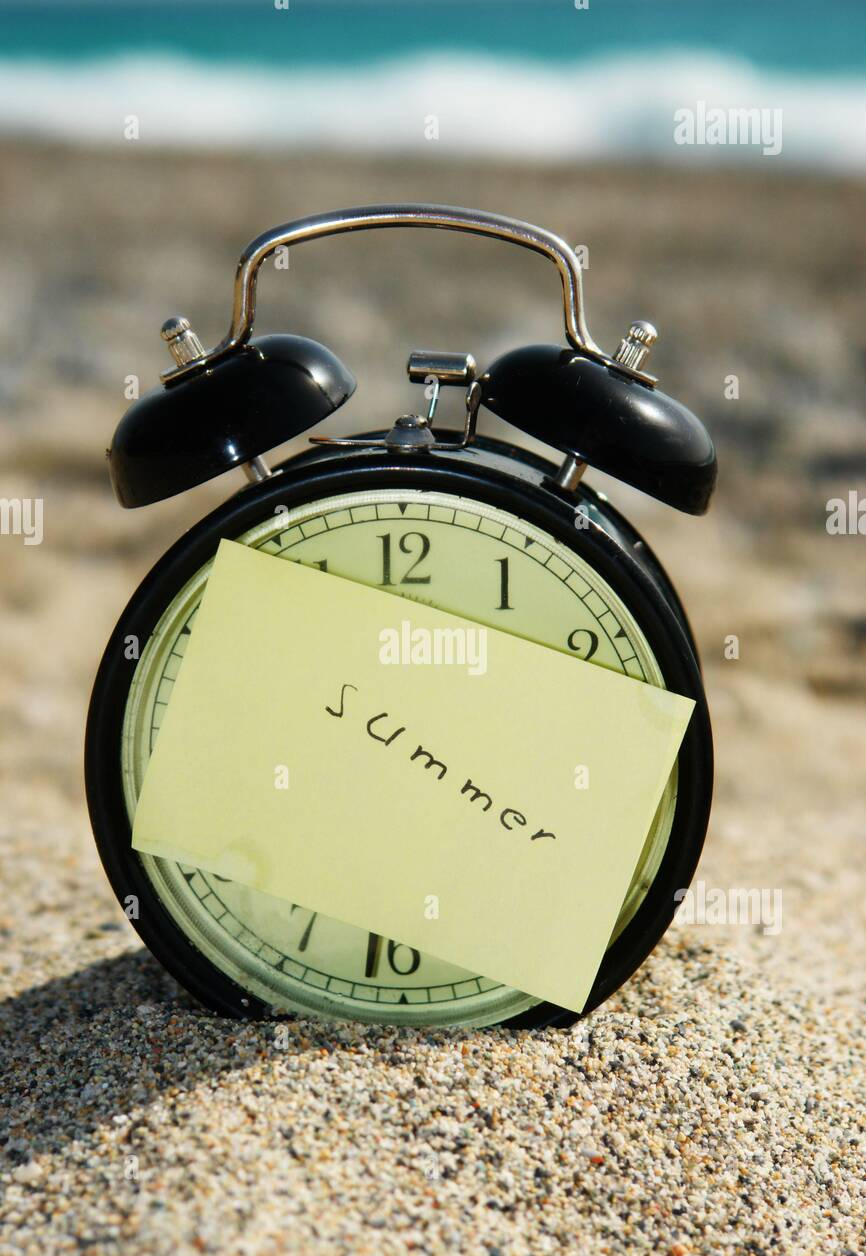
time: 4:20
